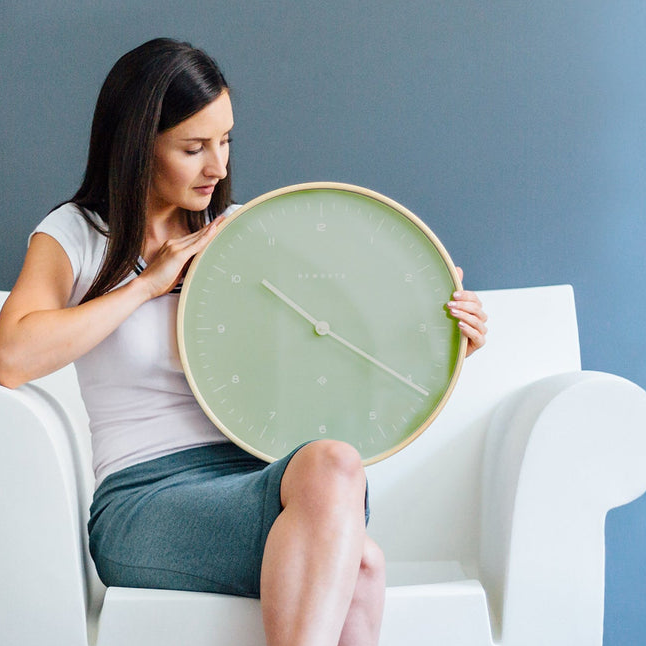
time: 10:20
